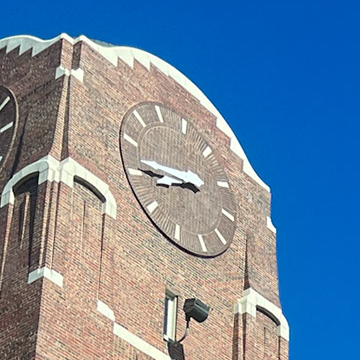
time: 8:46
